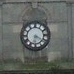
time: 6:20
